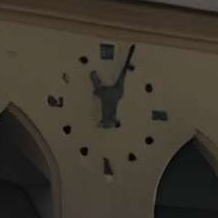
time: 11:04
